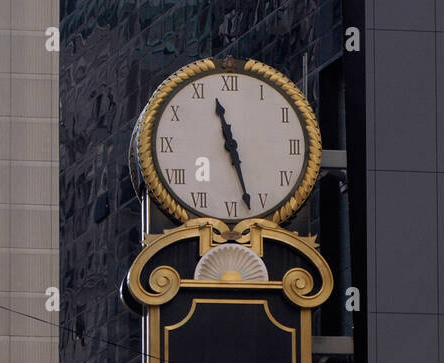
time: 11:27
